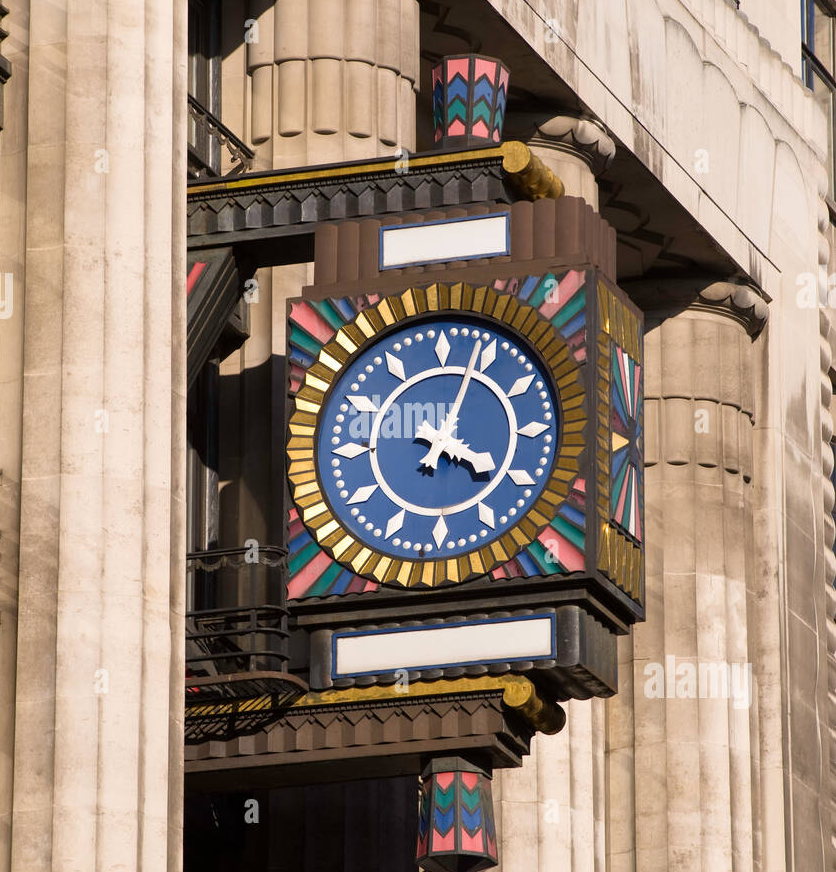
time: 4:04
